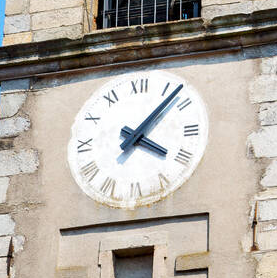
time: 4:07
